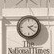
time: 2:21
